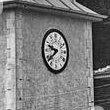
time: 9:38
